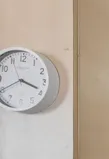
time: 3:40
